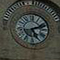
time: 5:11
